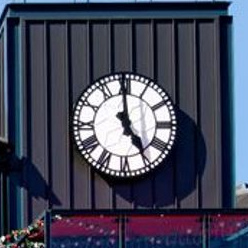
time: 4:59
